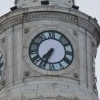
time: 7:34
